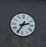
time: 2:34
